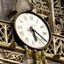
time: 5:19
